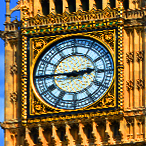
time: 2:45
